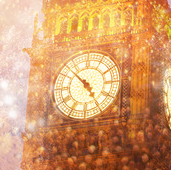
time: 4:52
